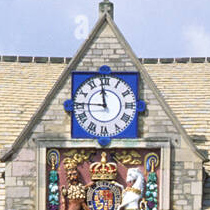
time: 11:45
